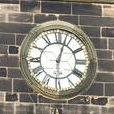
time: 6:03
